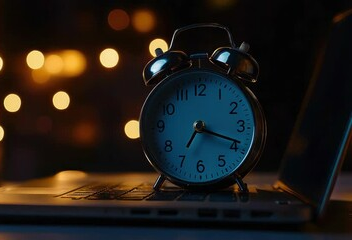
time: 7:18
